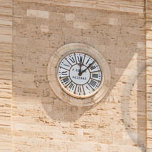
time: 12:07
